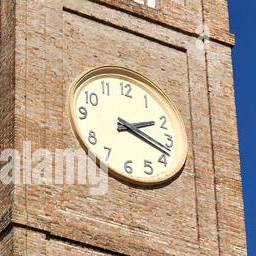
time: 2:18
